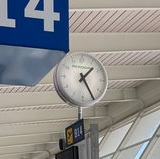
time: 1:24
